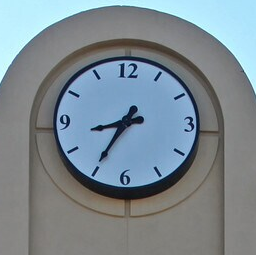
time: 8:35
